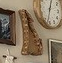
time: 12:32
